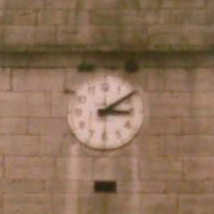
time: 3:09
